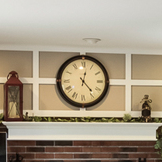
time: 12:23
